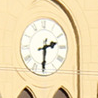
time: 2:30
